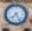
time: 7:24
